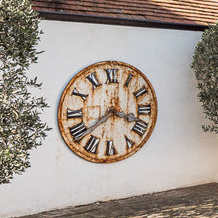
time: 3:39
